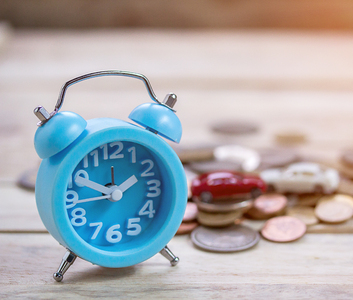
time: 1:49
